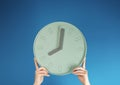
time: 8:01
